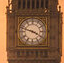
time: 3:47
